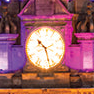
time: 10:28
